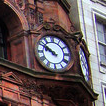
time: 9:50
